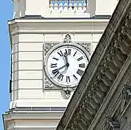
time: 11:40
